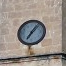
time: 7:07
